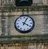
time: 4:04
